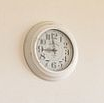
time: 8:58
